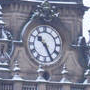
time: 10:25
